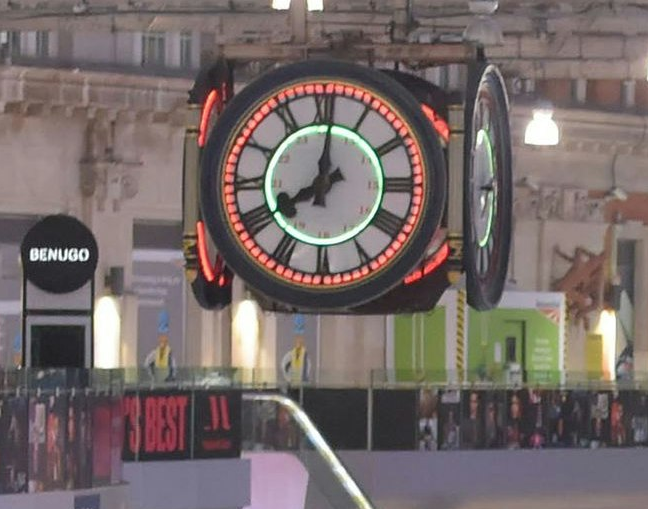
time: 8:01
